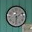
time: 6:10
